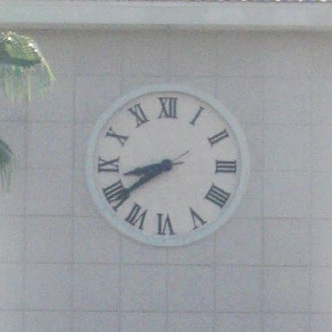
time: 8:38
